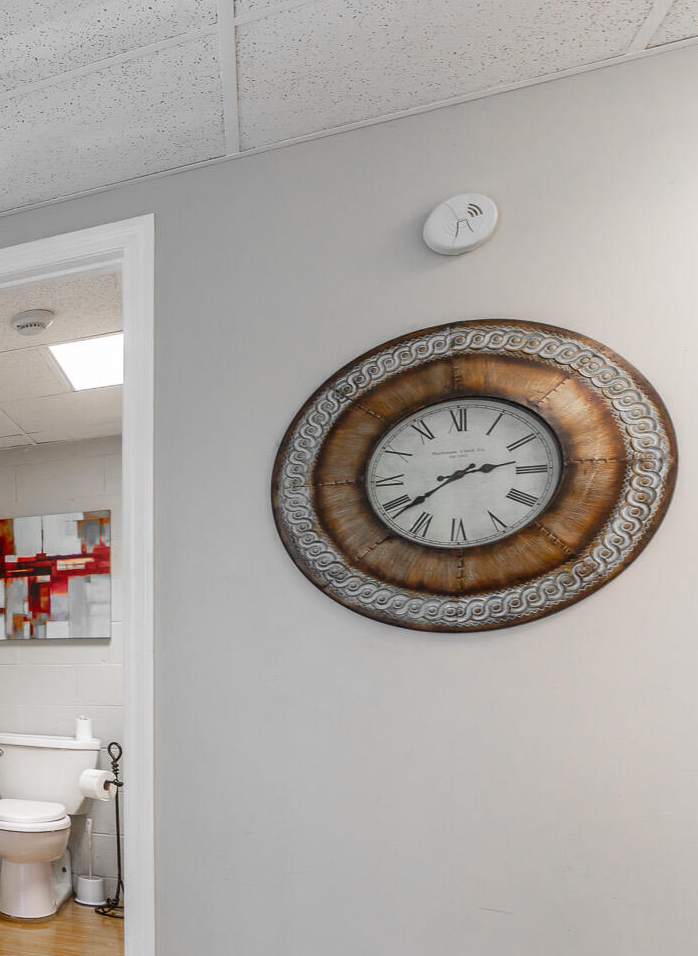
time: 2:38
